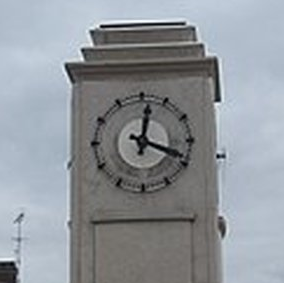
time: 12:18
